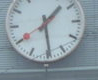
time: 1:29
